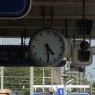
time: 4:29
